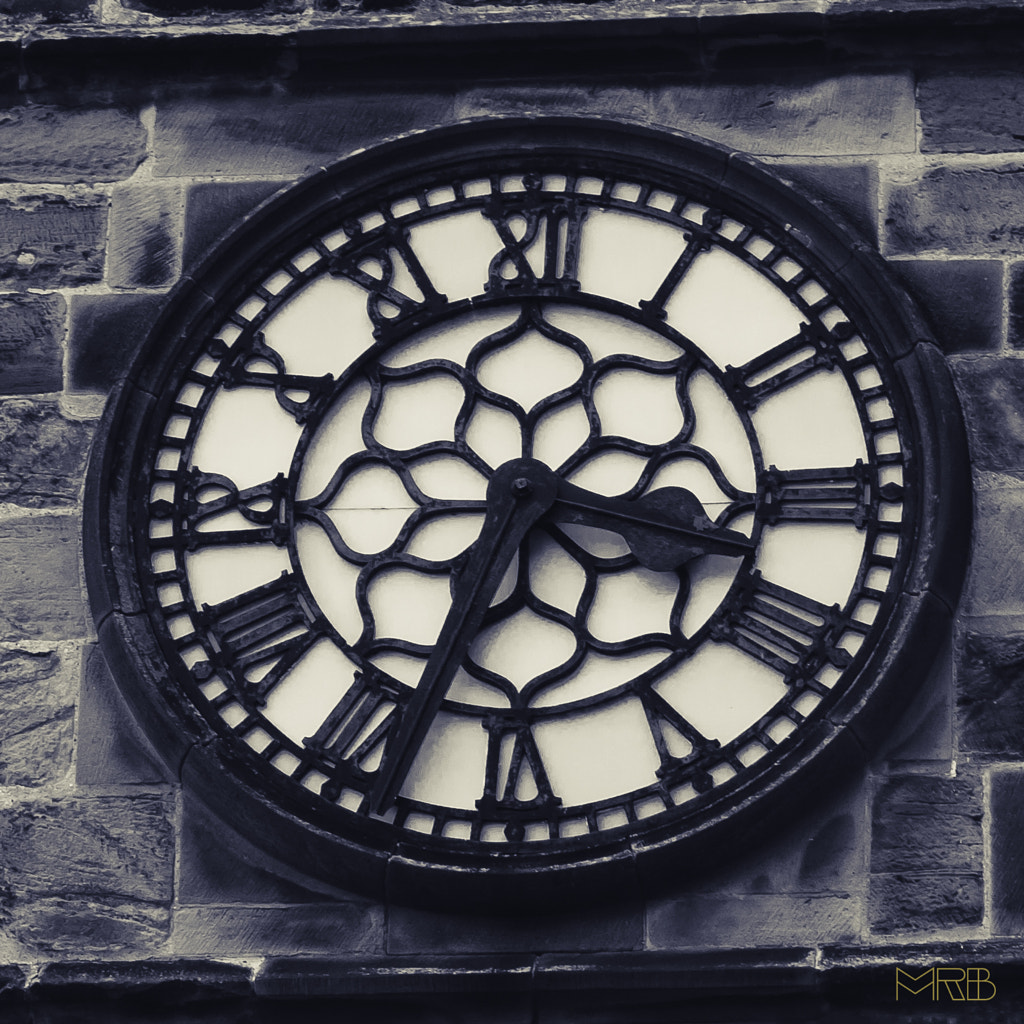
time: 3:33
